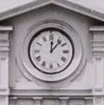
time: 12:06
